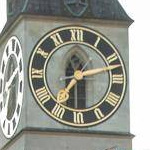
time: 7:12
